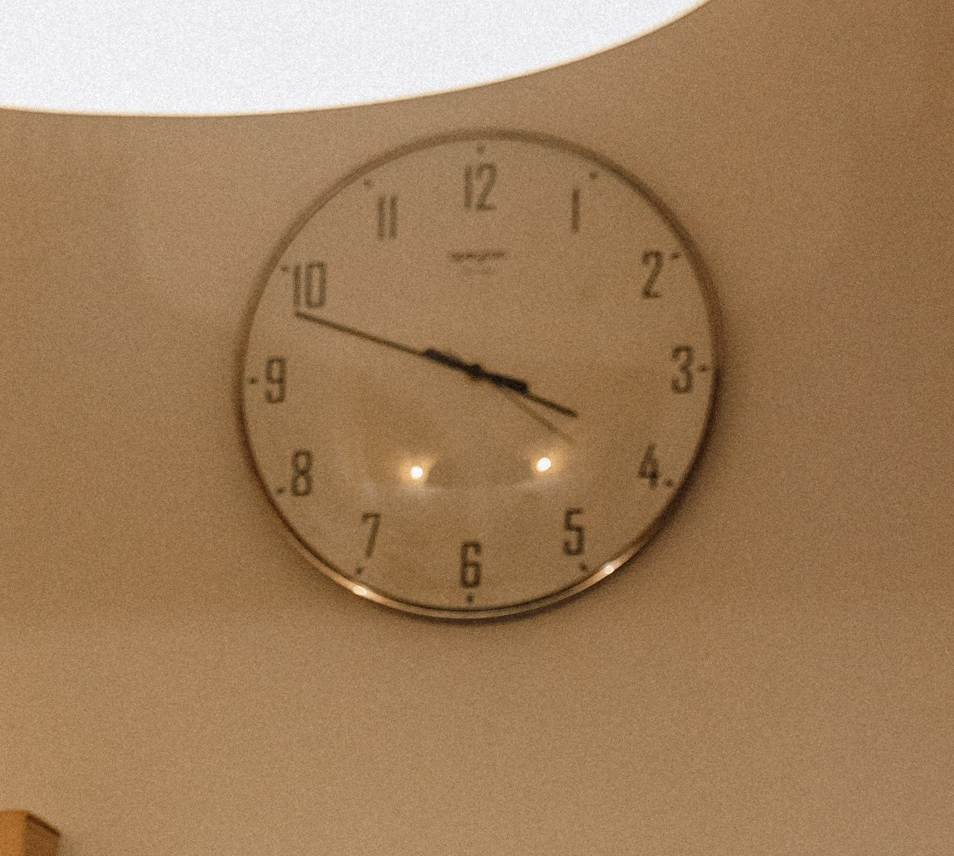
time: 3:48
